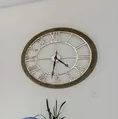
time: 4:31
